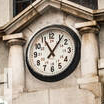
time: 11:06
